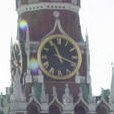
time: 11:18
